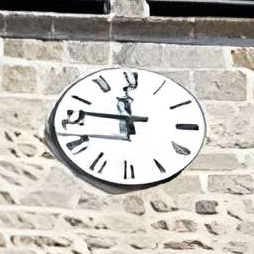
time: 11:46
